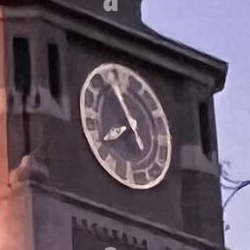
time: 7:55
